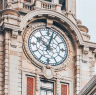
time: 10:02
